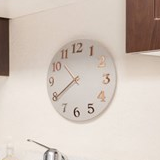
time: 10:39
